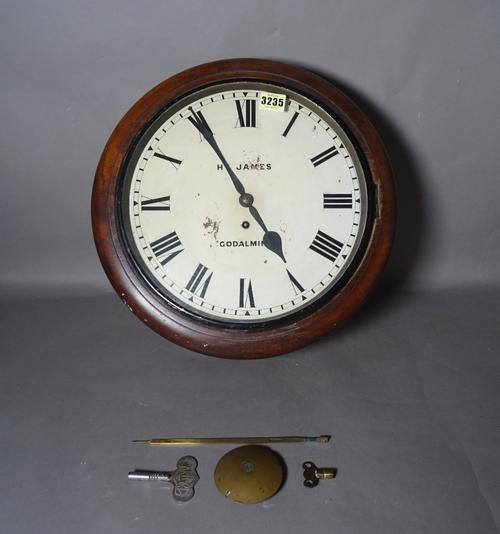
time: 4:54
